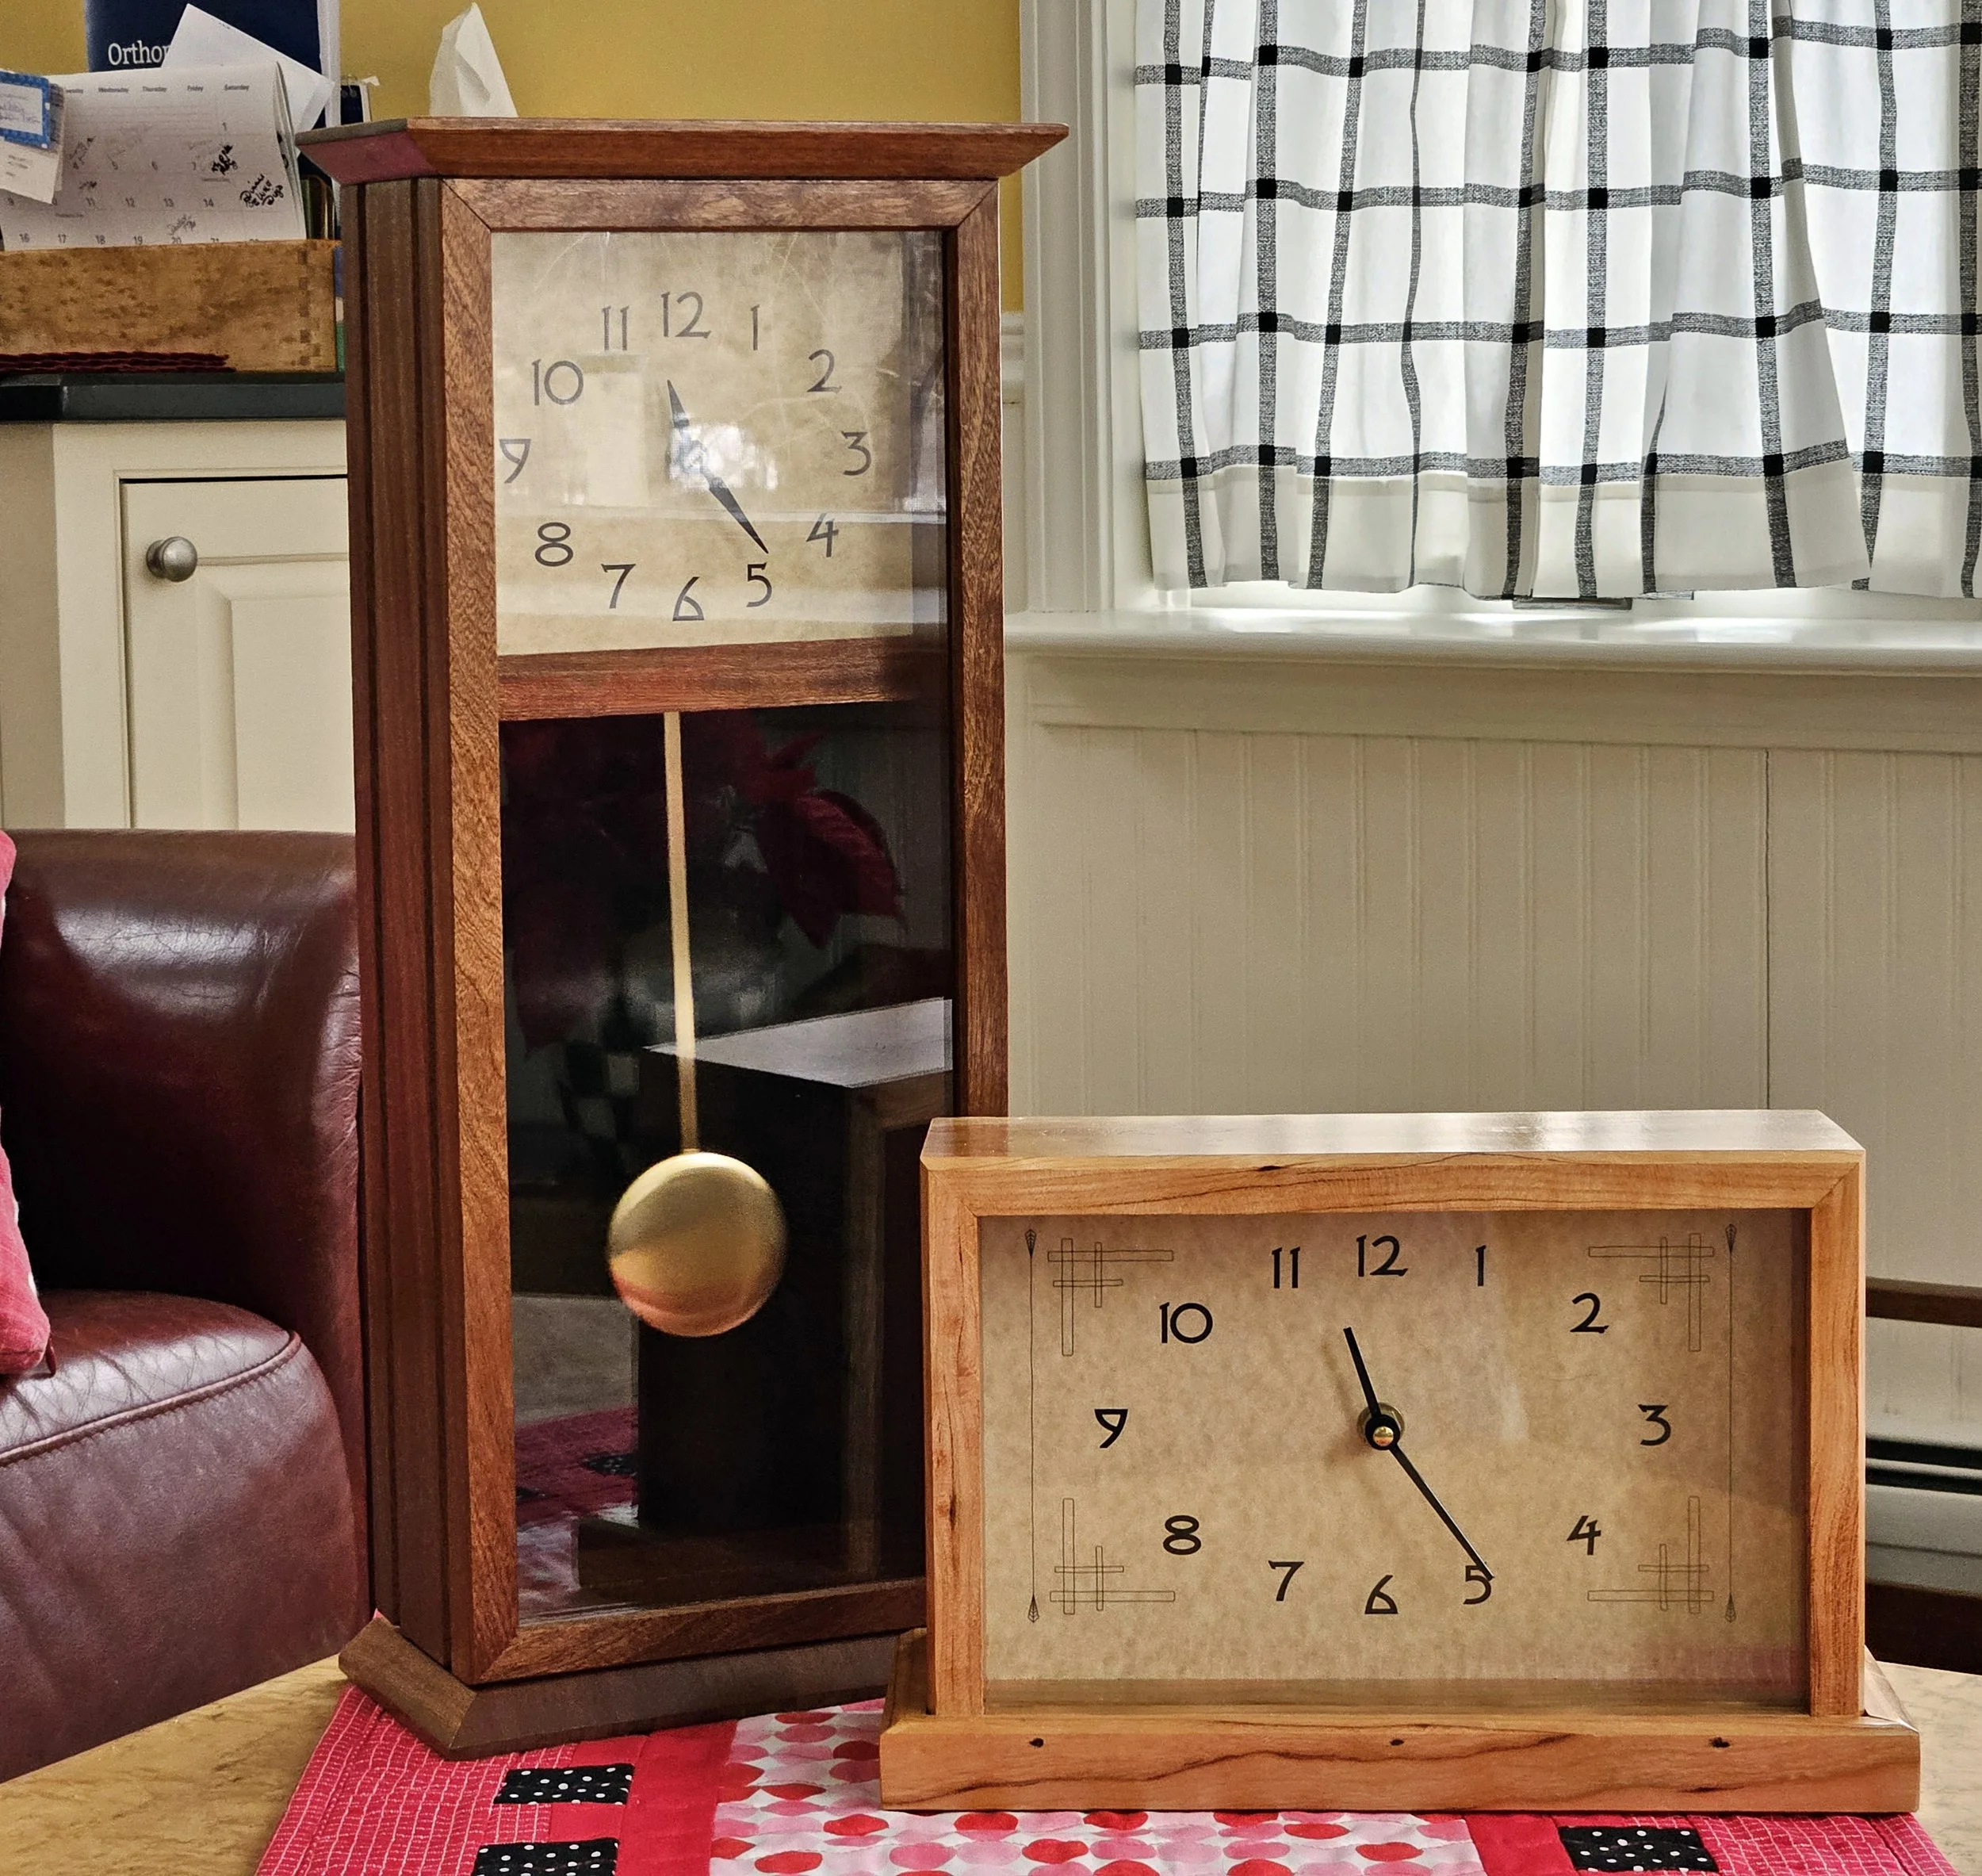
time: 11:24
